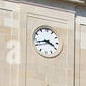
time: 3:42
